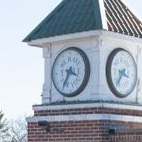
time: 3:35
